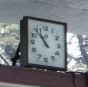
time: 10:52
